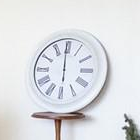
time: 5:59
